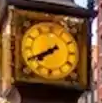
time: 7:40
